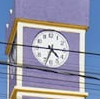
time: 4:33
